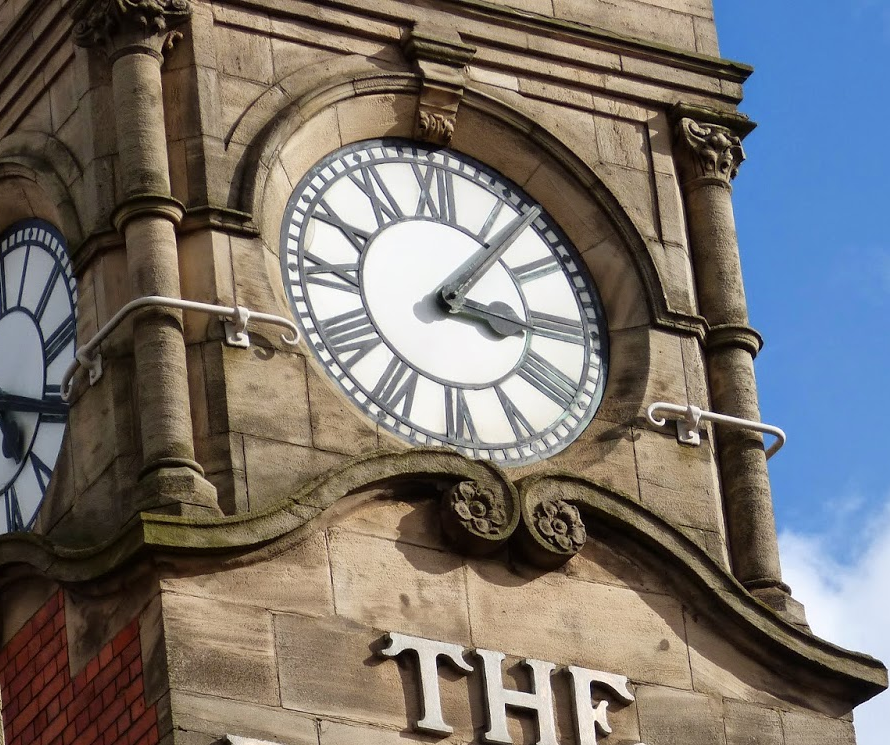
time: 3:07
